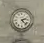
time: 2:22
